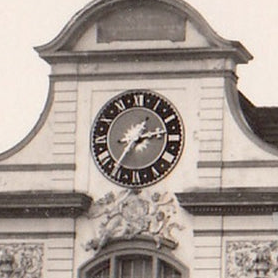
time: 2:36
